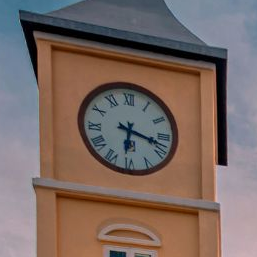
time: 6:17
